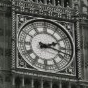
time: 2:18
